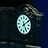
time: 5:09
